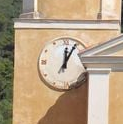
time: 12:04
